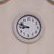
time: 8:48
